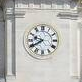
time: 9:40
